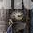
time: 3:12
